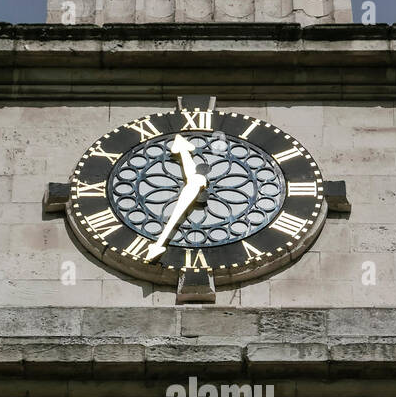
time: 11:33
